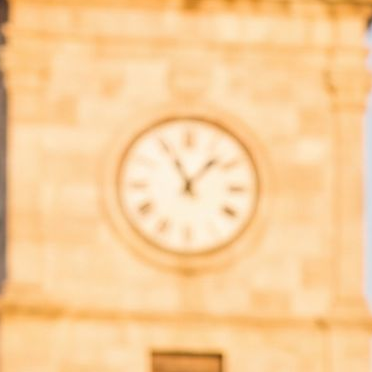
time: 11:07
